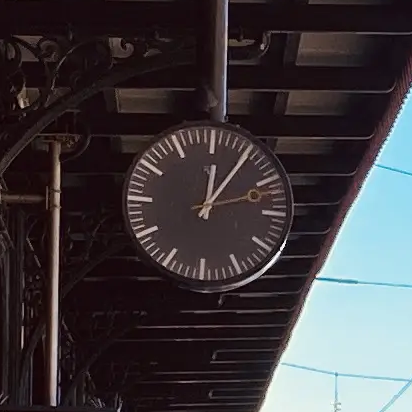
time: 12:05
